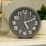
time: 5:11
